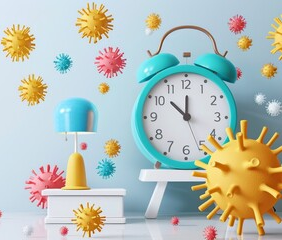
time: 11:52
